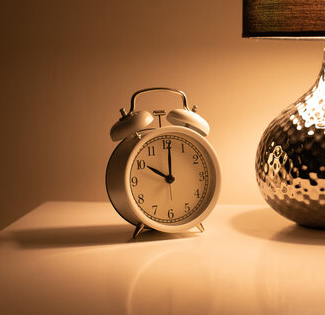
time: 10:00
